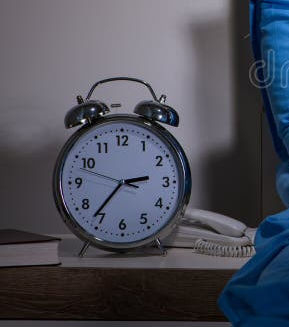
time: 2:36
